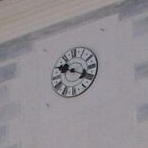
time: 9:18
